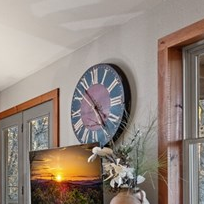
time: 4:53
